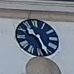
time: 10:26
